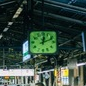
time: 12:11
